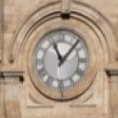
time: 11:07
